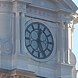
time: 12:26
